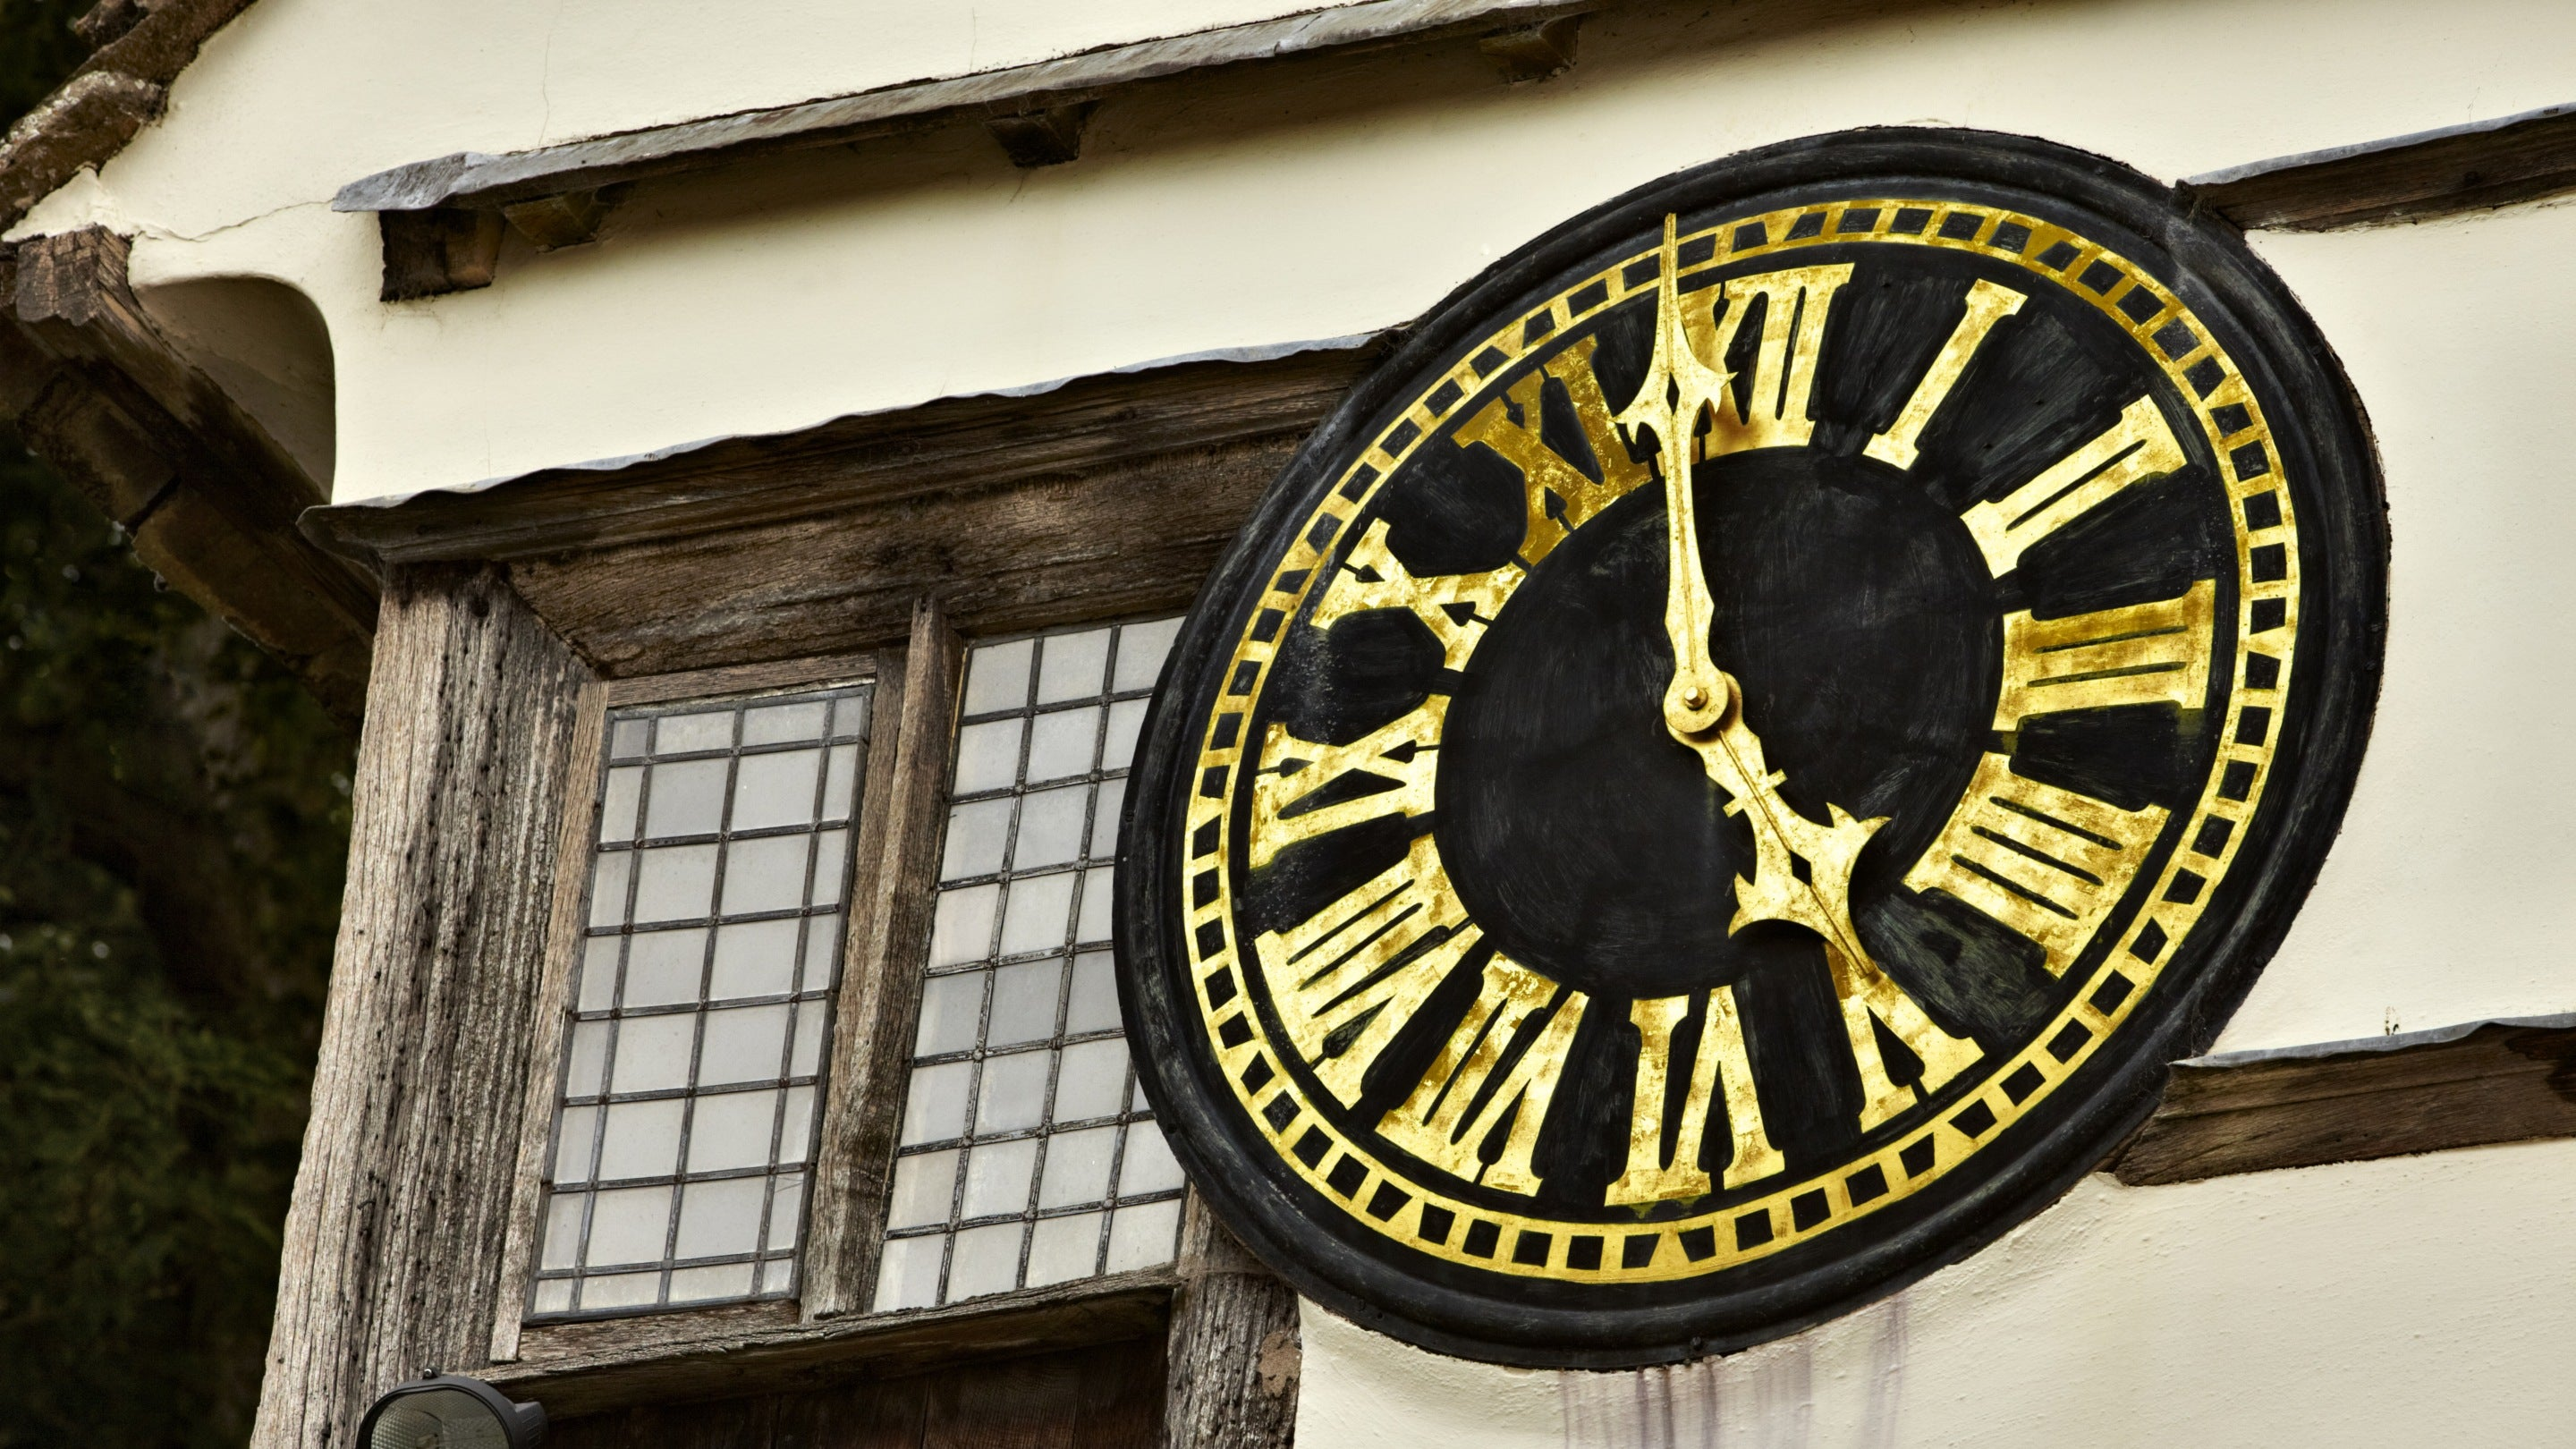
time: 4:58
